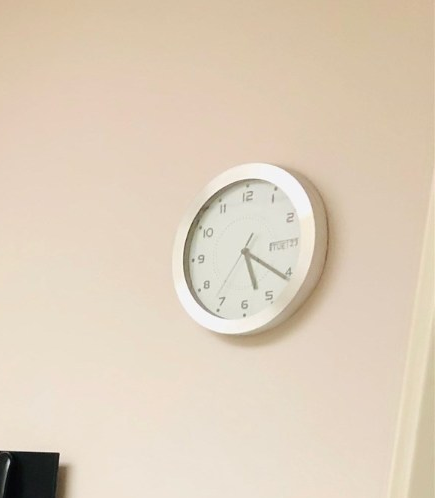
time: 5:20
